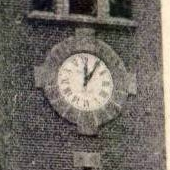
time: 12:05
